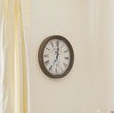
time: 7:00
